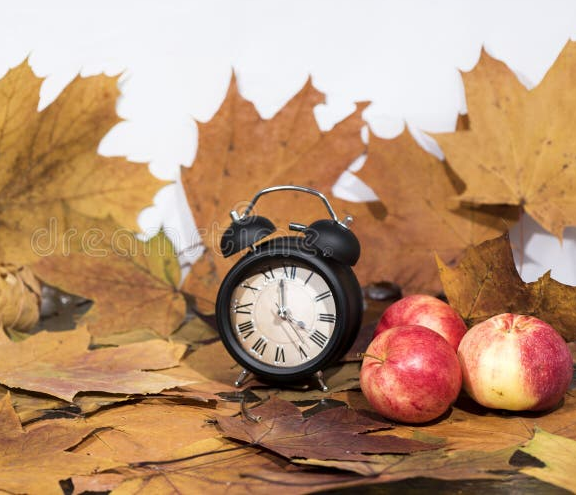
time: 3:58
